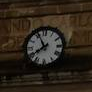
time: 7:55
